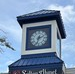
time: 2:33
